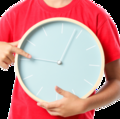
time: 9:03
